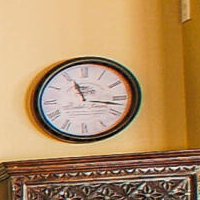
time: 11:16
